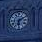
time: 6:10
